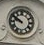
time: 9:50
